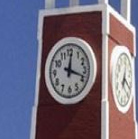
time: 12:18
